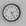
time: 2:25
